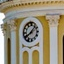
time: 8:07
